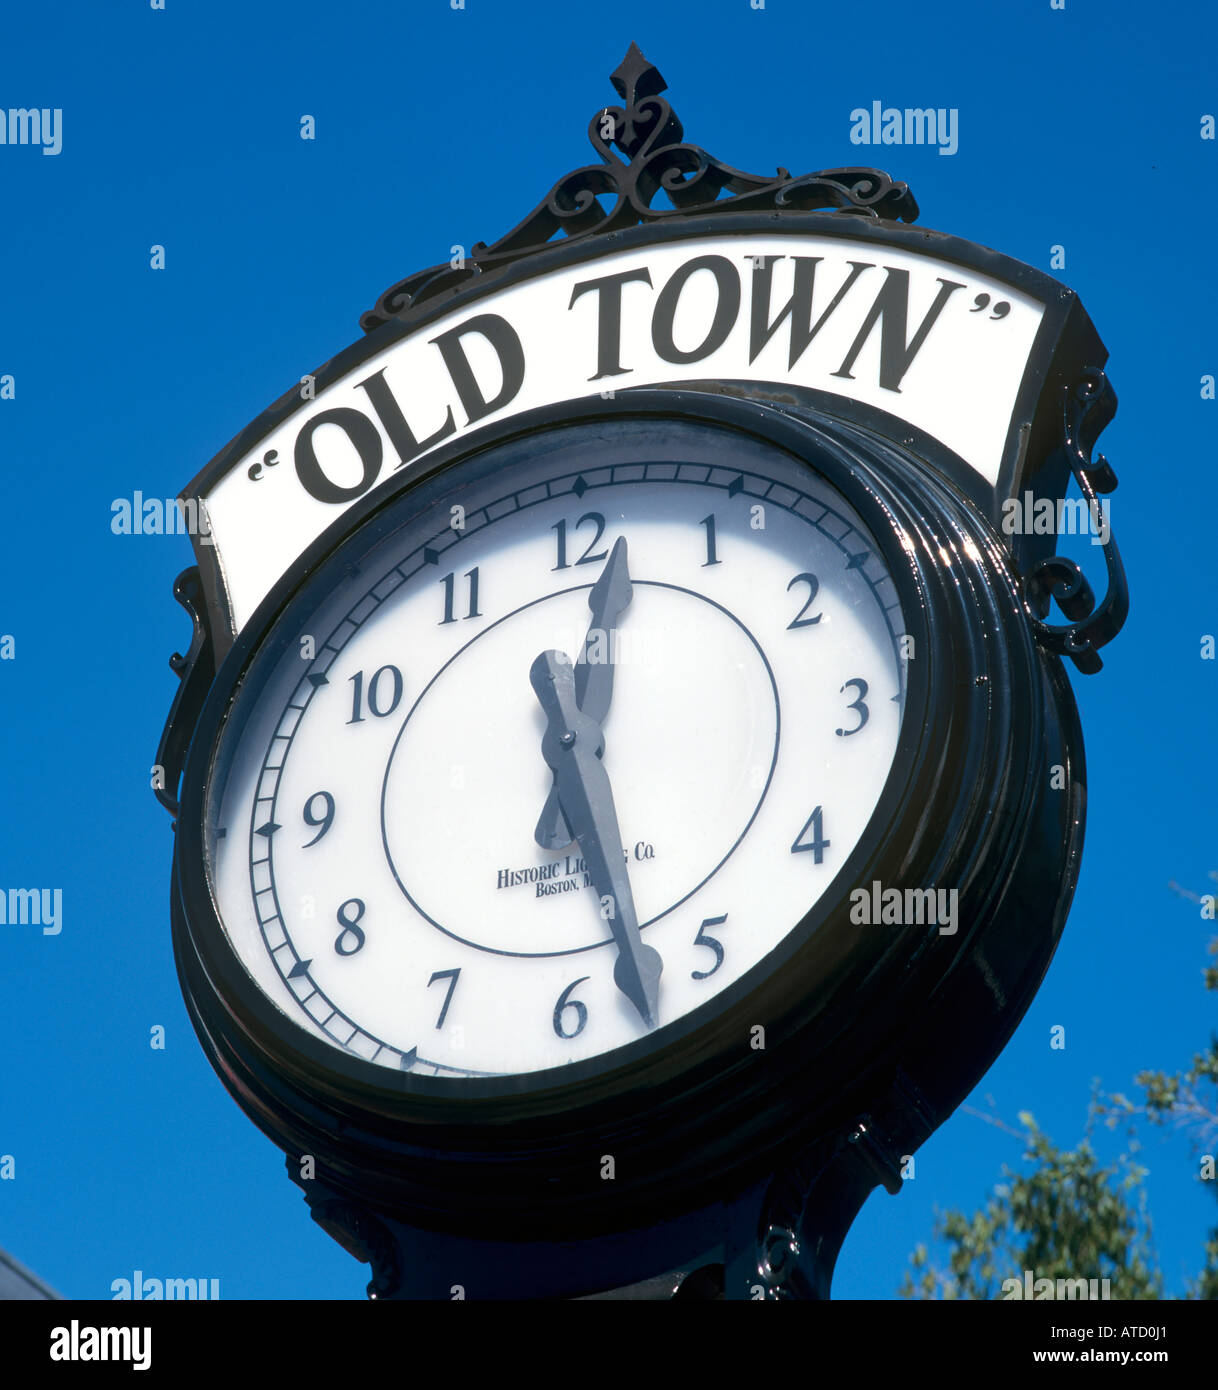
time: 12:27
